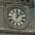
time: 12:07
